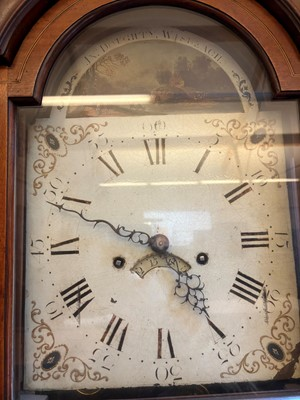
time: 4:49
